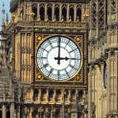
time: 3:00
